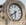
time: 5:38
